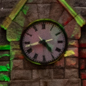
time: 4:42
